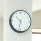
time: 10:32
